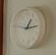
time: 1:13
